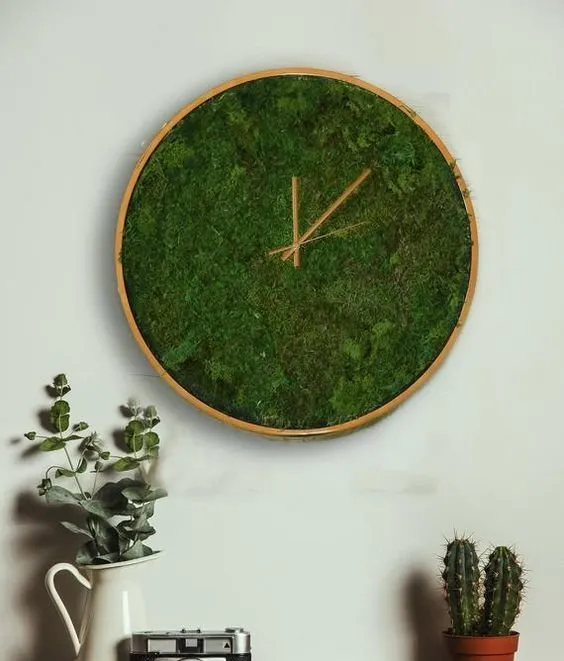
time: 12:07
